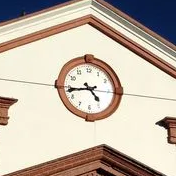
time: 4:43
